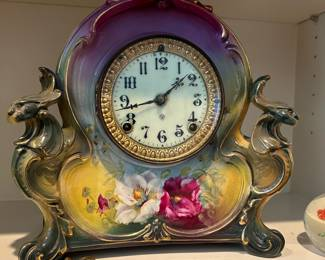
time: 1:42
